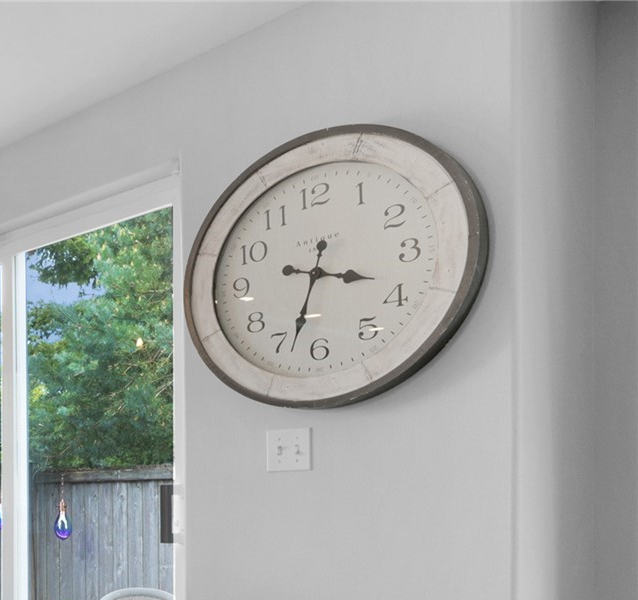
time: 3:33
